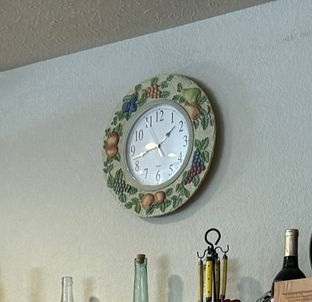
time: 1:42
